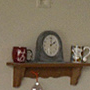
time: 2:01
